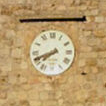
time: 7:41
